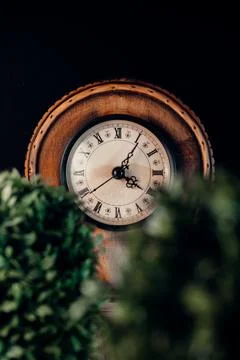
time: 4:05
